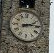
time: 2:13
